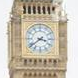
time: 3:38
